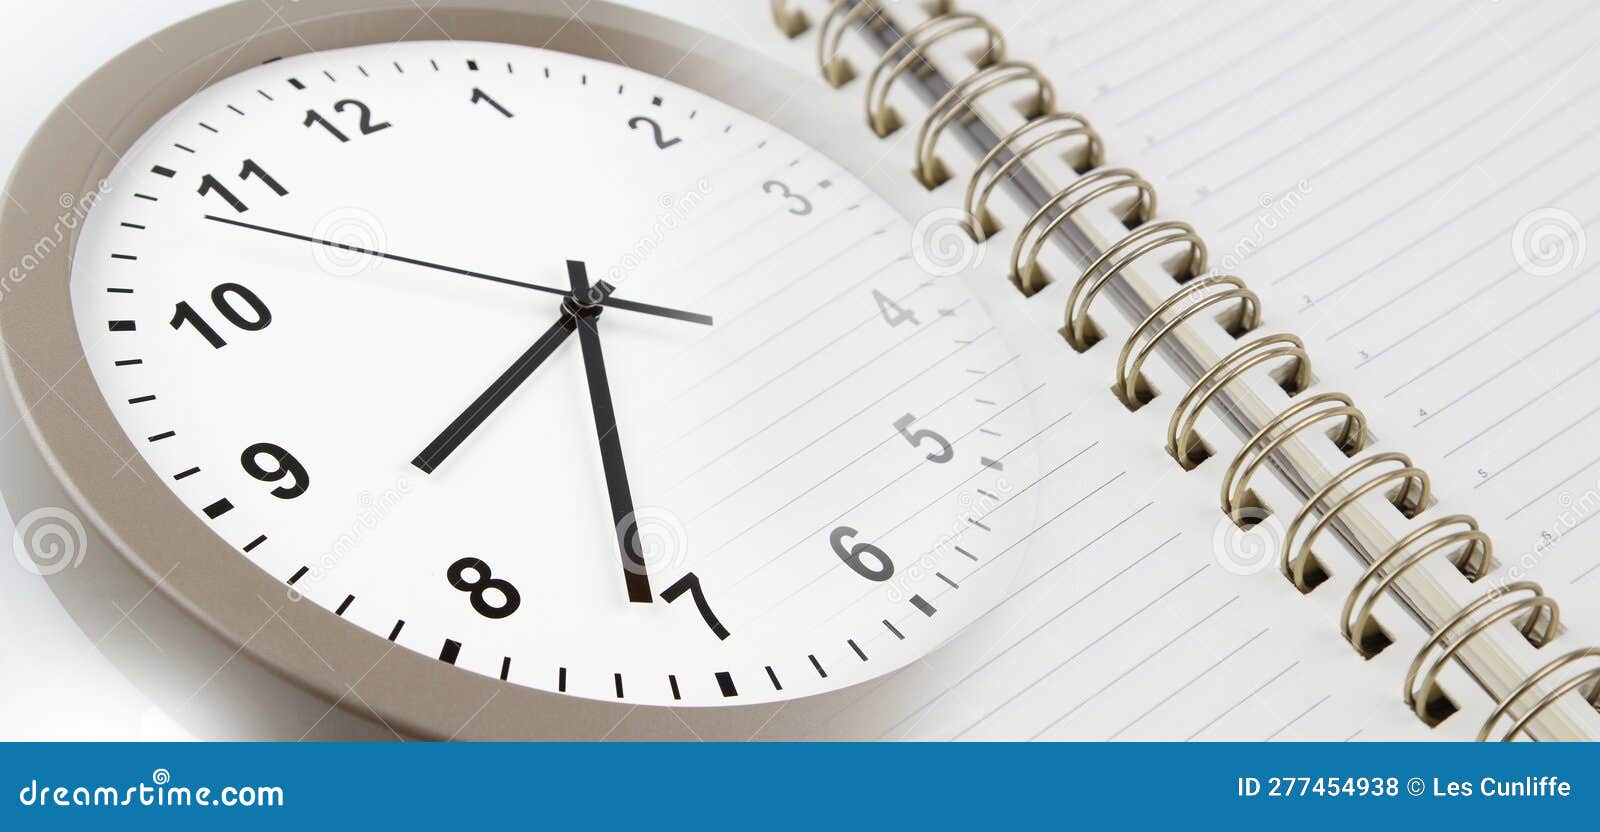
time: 7:31
